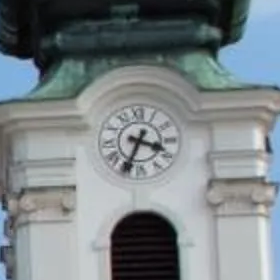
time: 3:34
